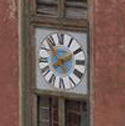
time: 1:53
